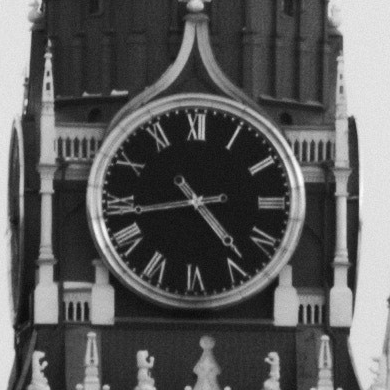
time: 4:43
